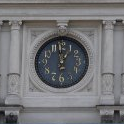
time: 12:59
